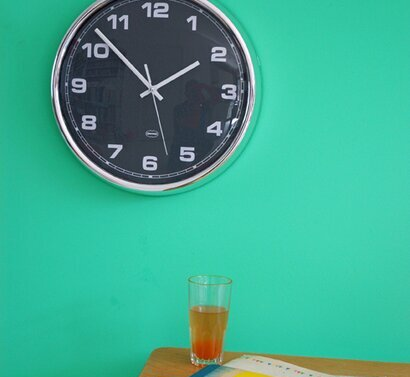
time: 1:52
